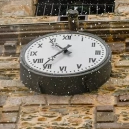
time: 10:36
